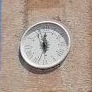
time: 5:59
